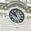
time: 10:50
